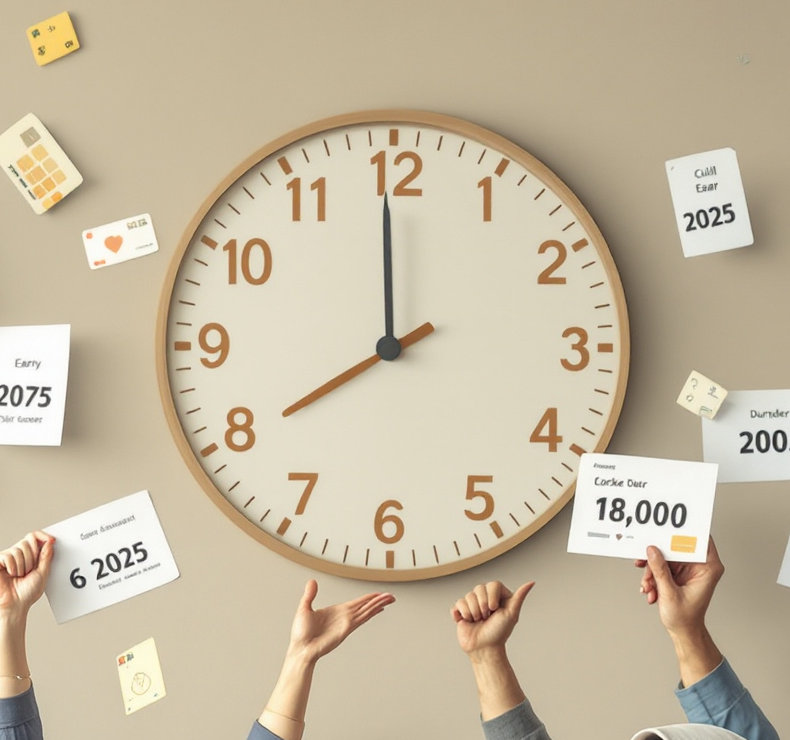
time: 7:59
